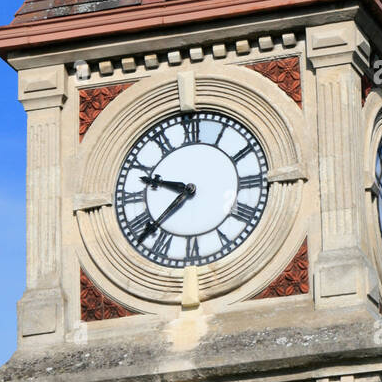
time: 9:38
